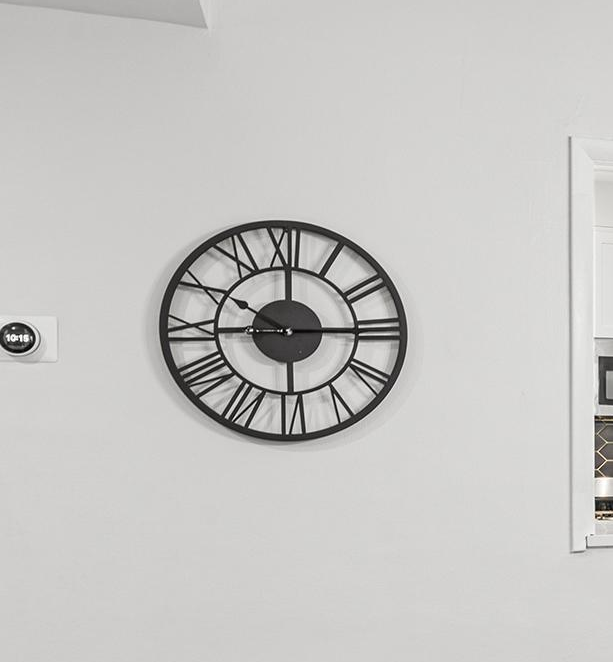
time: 10:14
